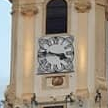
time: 3:46
